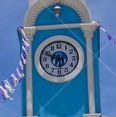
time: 5:48
